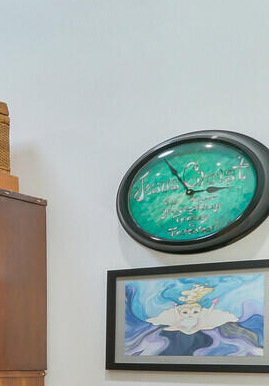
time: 2:54
